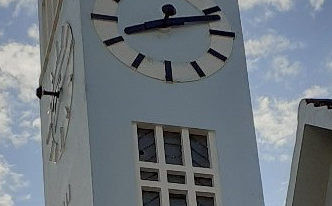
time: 8:12
